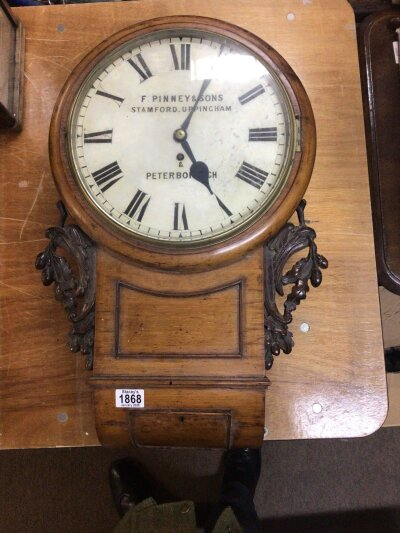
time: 5:04
